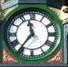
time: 11:36
